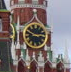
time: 2:48
